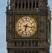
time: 6:16
